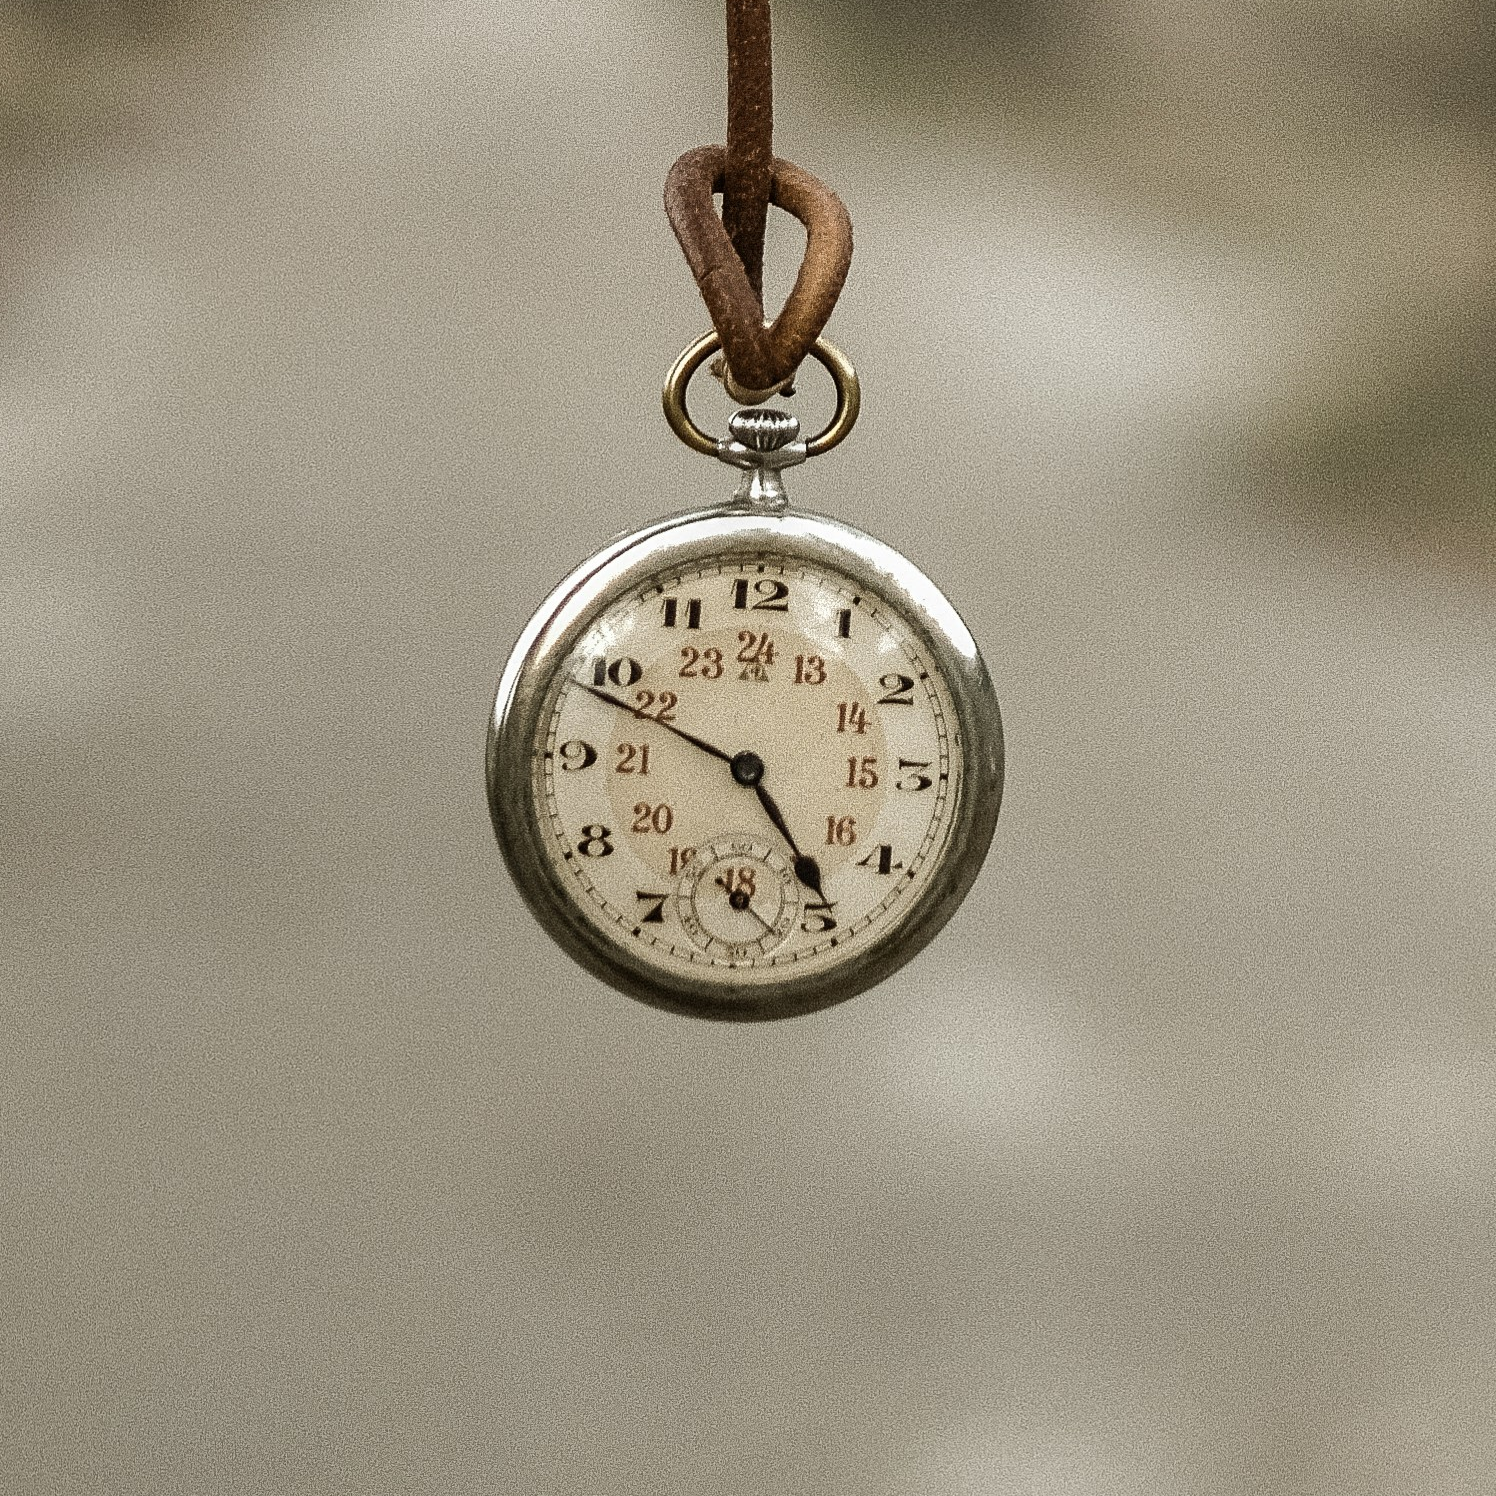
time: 4:48
